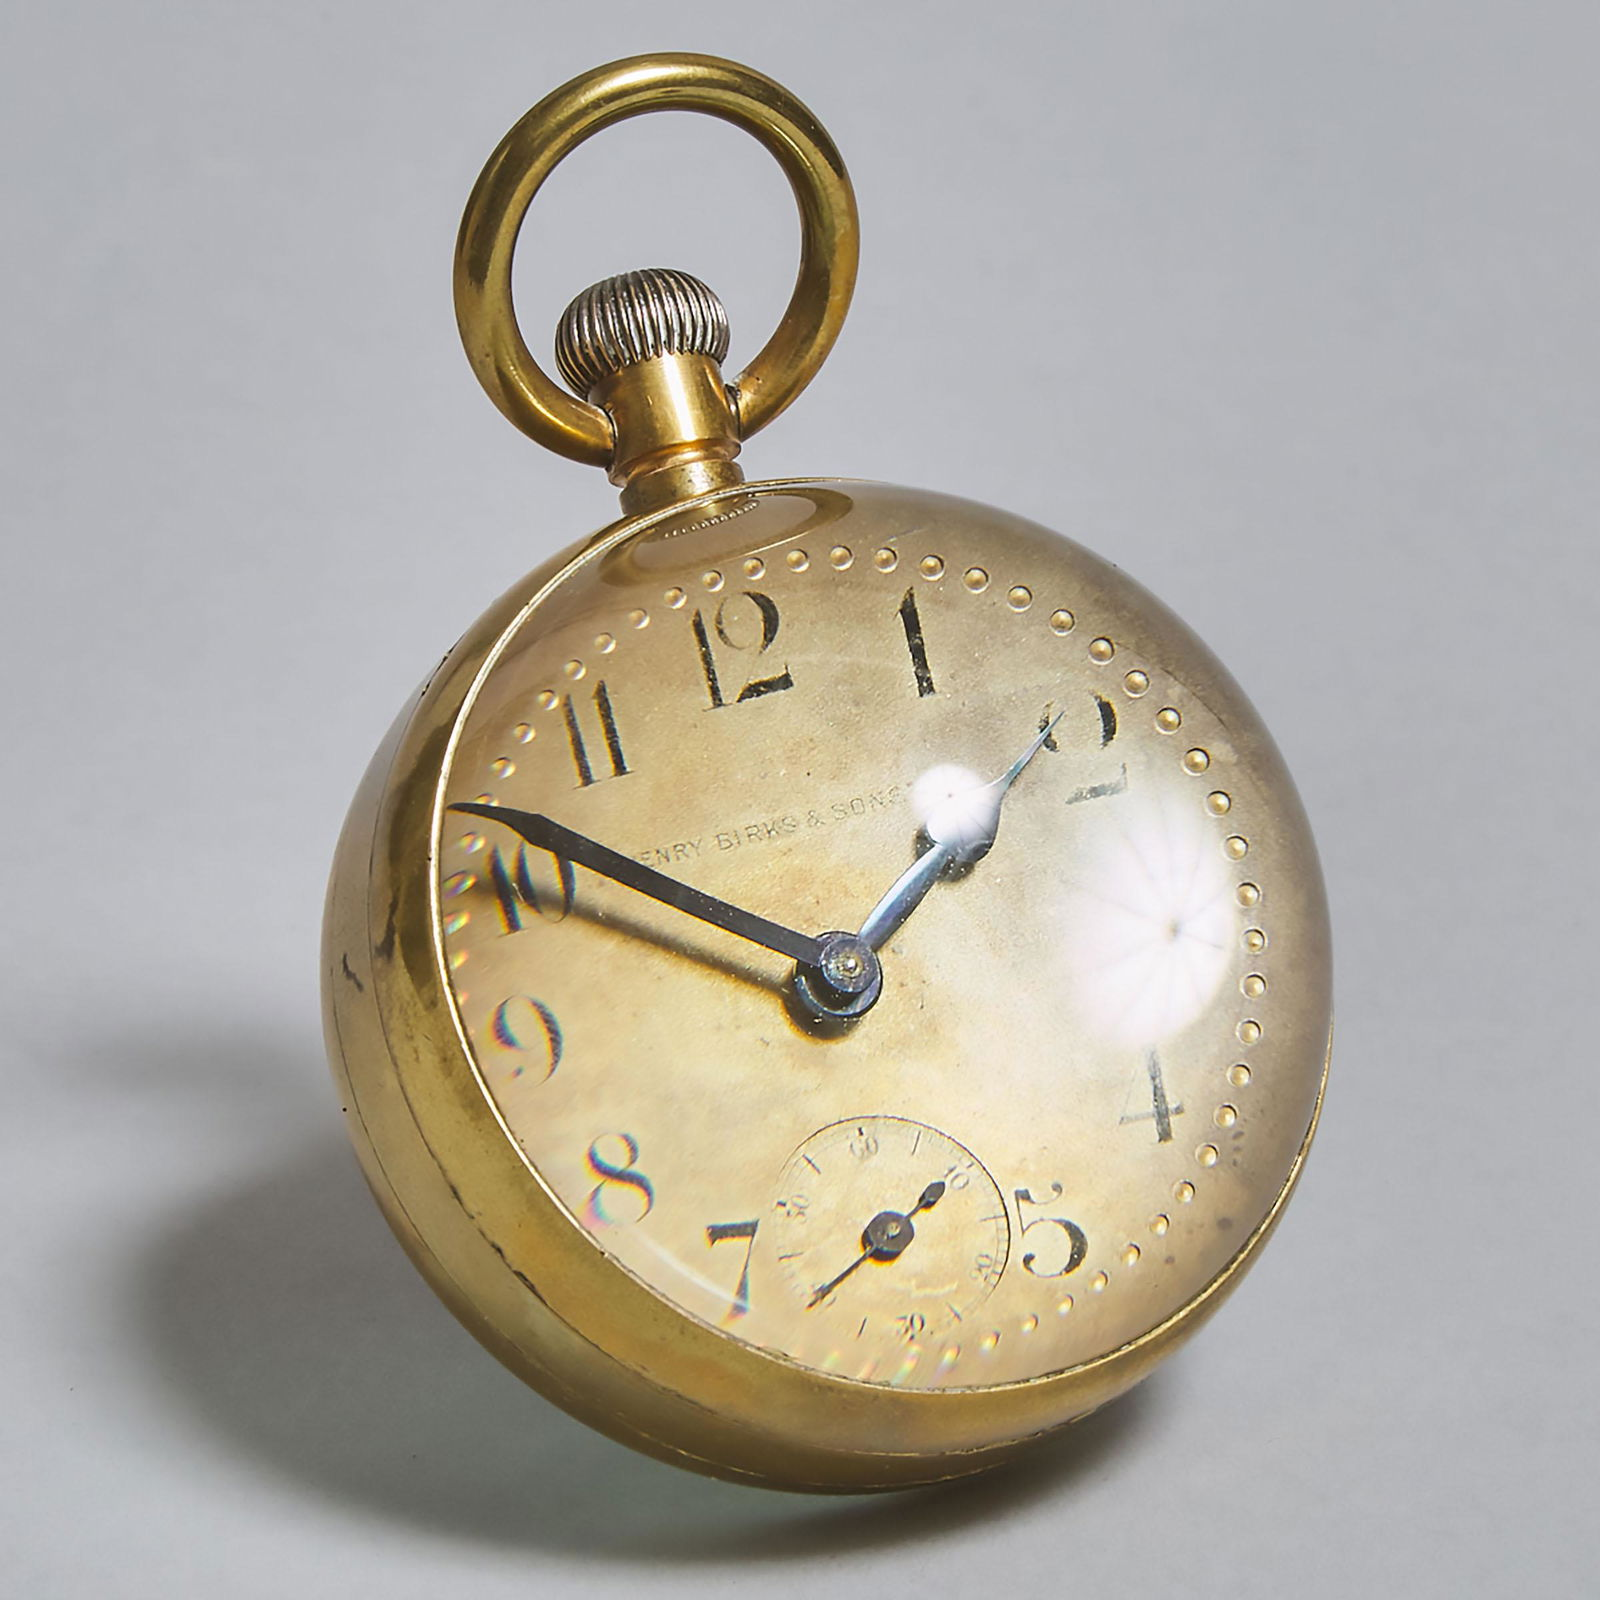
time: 1:50
